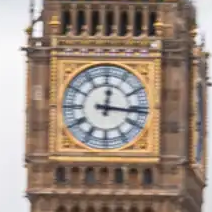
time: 12:16
